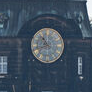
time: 10:42
